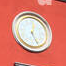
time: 12:26
